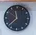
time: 11:37
